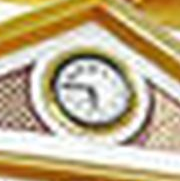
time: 5:45
